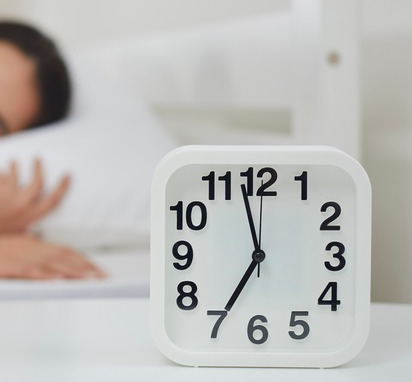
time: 6:57
